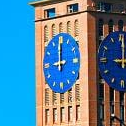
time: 8:59
